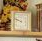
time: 9:48
